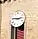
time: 2:46
